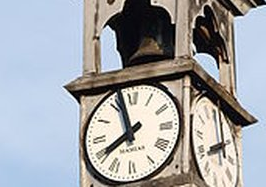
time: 7:57
